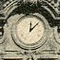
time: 12:07
